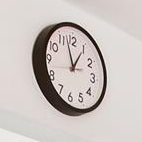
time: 12:57
